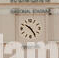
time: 10:24
